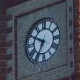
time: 6:49
